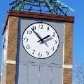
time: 1:53
